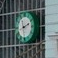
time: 2:11
